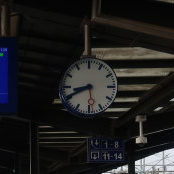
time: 8:40
